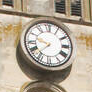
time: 9:37
